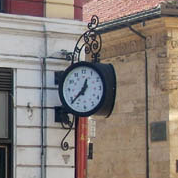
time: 12:37
